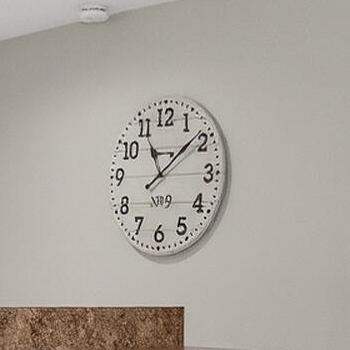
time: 11:08
